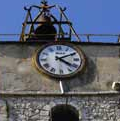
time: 4:10
